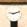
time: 9:12
